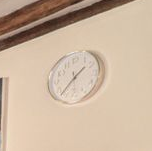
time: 1:37
